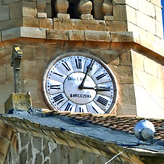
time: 3:04
